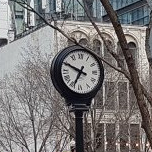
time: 6:48
